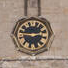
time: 2:45
